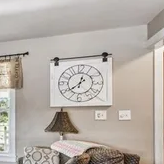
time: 12:38
